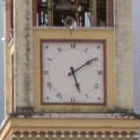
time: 5:09
